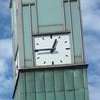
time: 12:45
